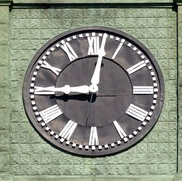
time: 9:01
